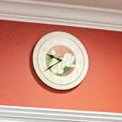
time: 9:39
